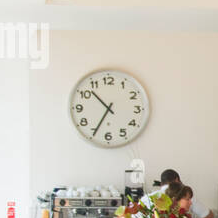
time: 10:34
